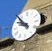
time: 9:53
